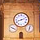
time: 8:11
